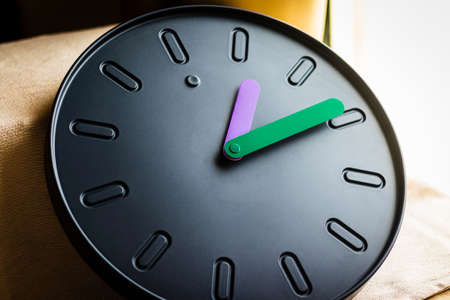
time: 12:09
